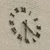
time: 4:31
